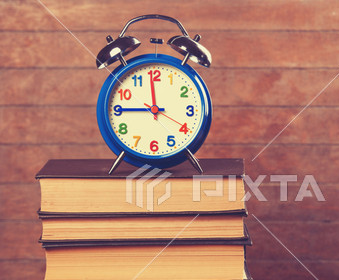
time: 11:45
